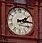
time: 2:14
